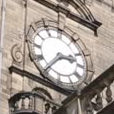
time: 2:36
